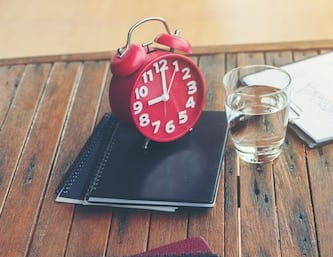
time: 9:01
